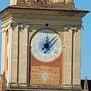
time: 12:07
